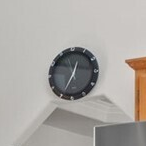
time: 12:34
